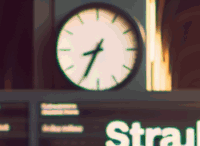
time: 8:34
